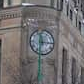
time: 11:32
